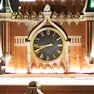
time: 8:40
